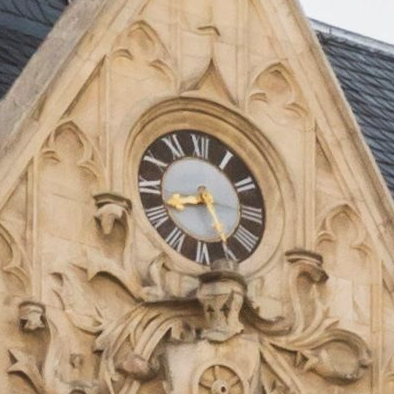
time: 8:25
